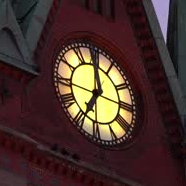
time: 6:58
